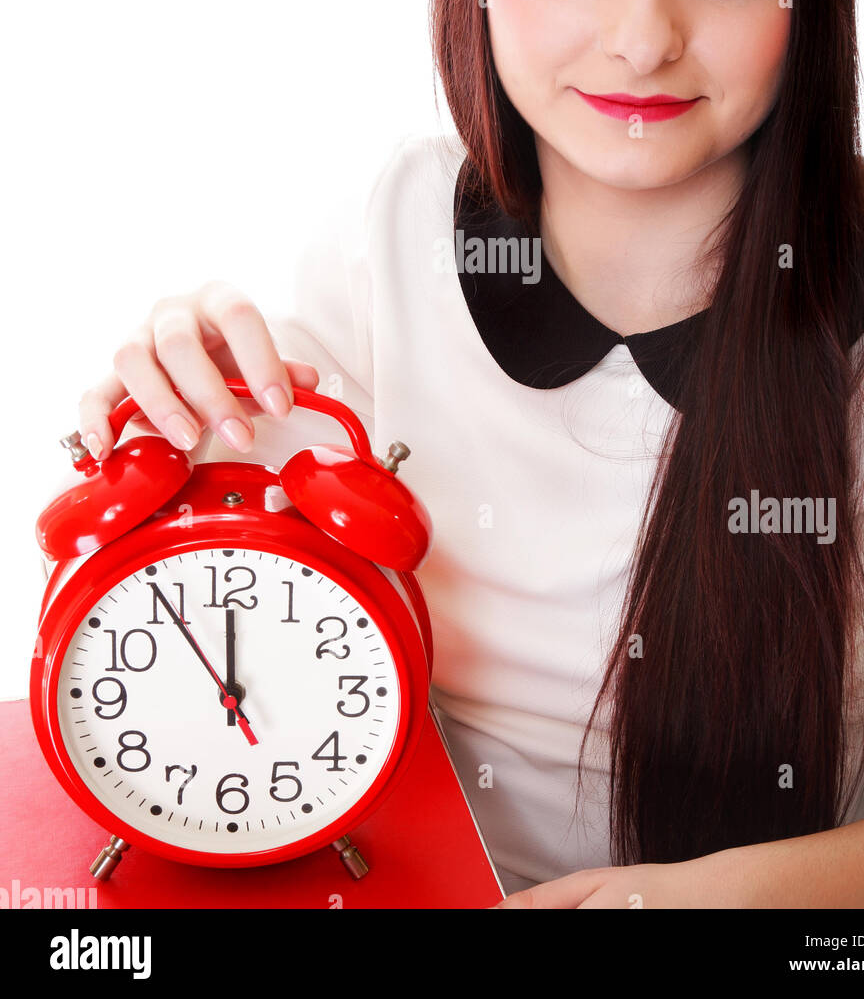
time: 11:54
